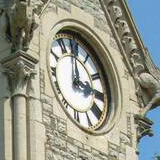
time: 2:59
